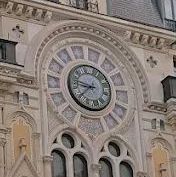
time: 8:38
